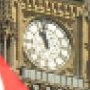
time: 10:58
